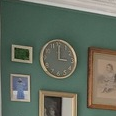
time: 3:00
